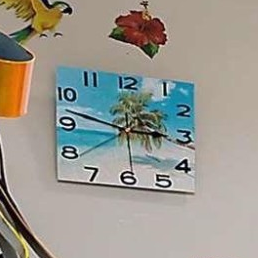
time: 2:47
